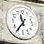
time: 11:35
